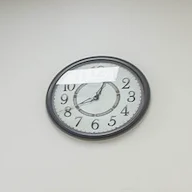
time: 12:41
